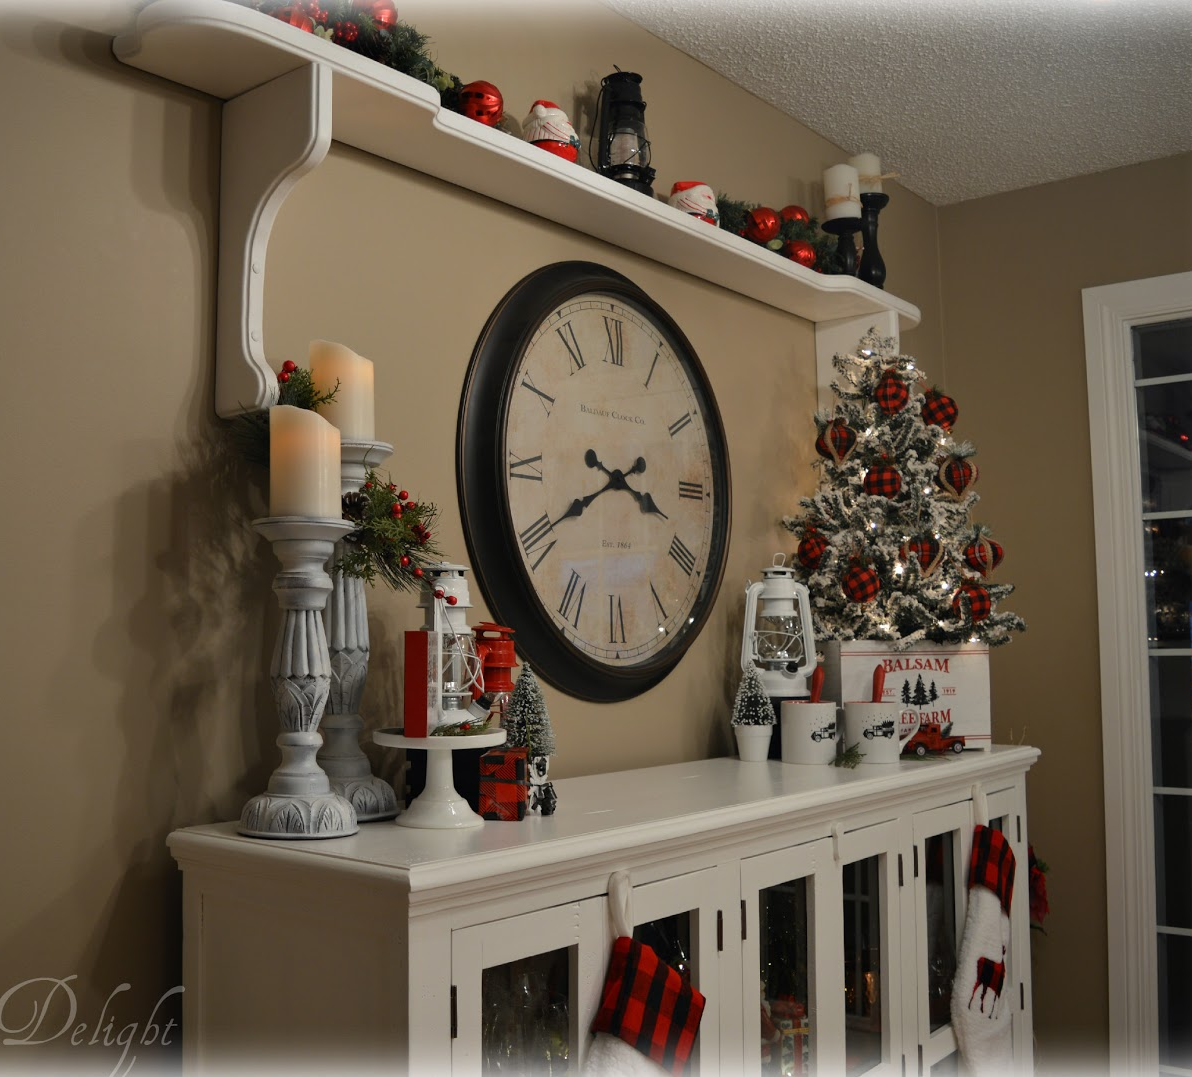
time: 3:40
